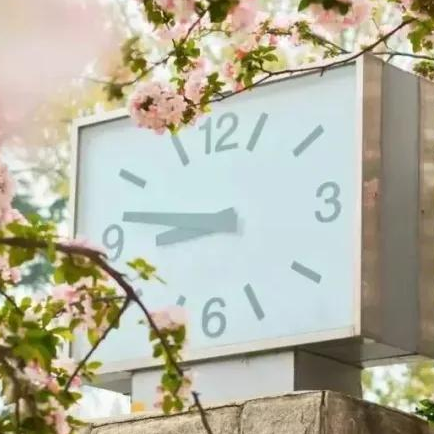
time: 8:46
